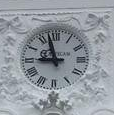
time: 8:57
